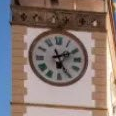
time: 5:10
